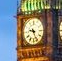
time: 9:26
